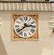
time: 2:38
